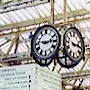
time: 9:13
